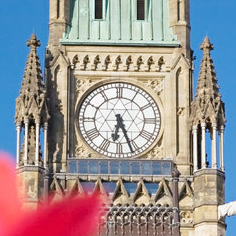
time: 6:26
